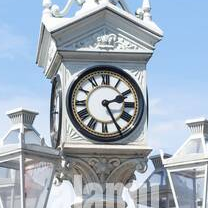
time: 2:25
